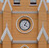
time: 4:04
